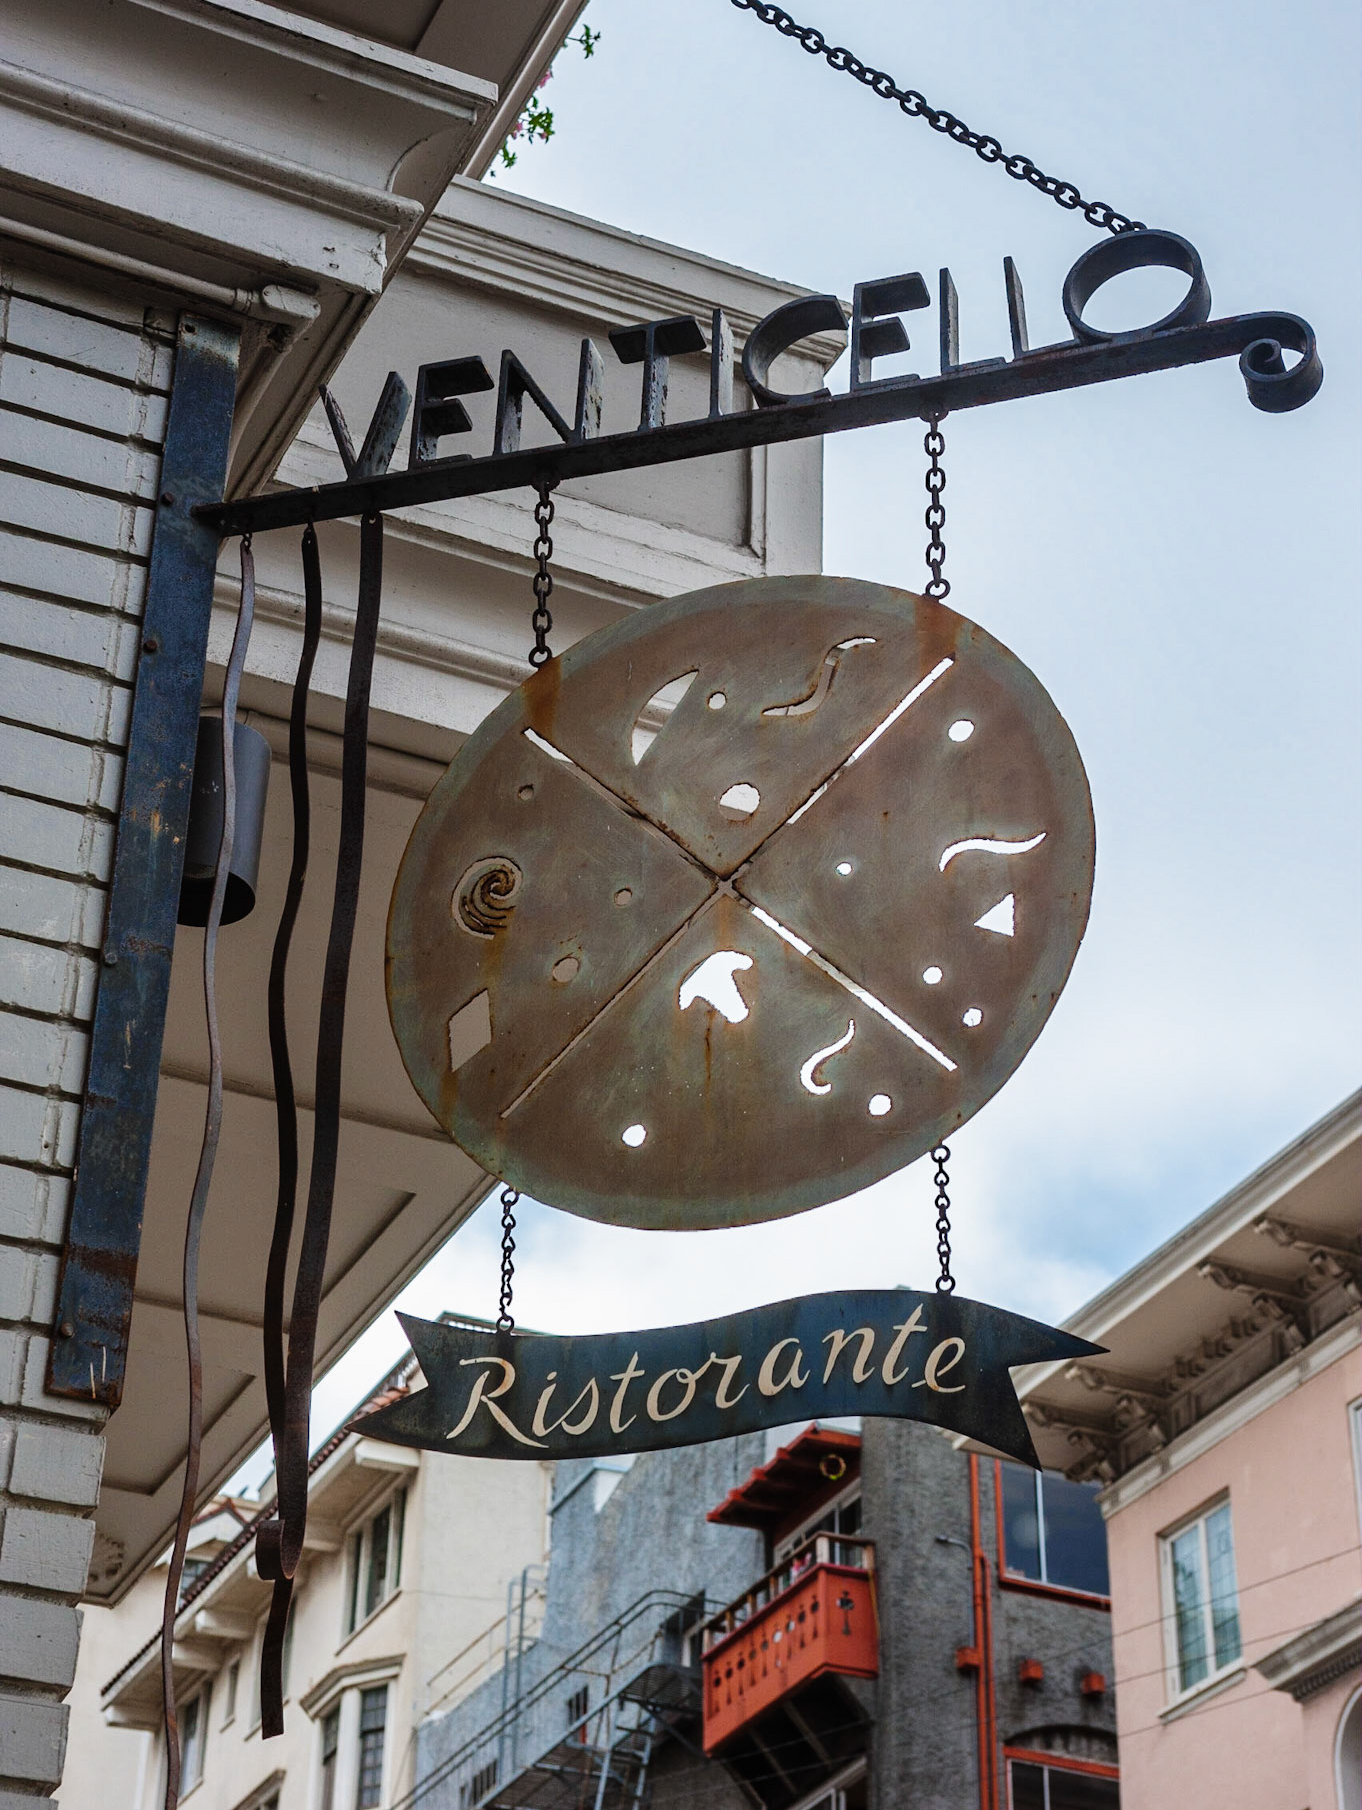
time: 1:21
